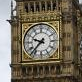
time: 9:37
